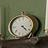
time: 4:22
